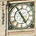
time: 4:54
